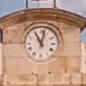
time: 11:02
